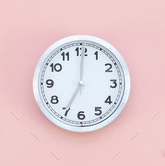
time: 7:00
